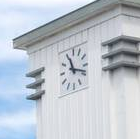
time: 11:18
